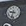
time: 9:33
